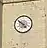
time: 4:51
